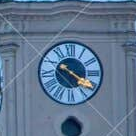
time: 10:20
